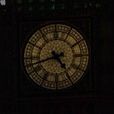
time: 4:42
